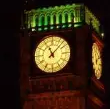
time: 11:07
